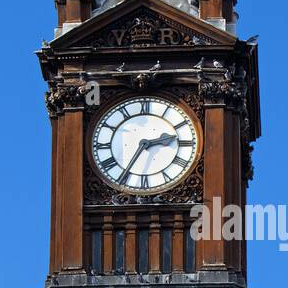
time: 2:35
